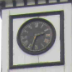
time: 2:32
